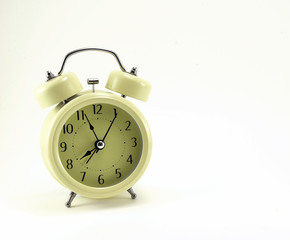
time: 7:56
